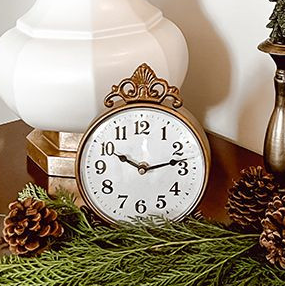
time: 10:12
